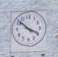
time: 3:52
